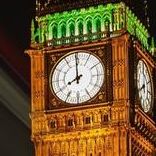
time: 7:59
